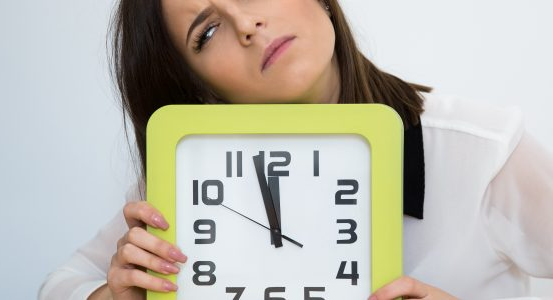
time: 11:57
